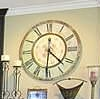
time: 4:31
